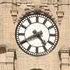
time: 4:40
